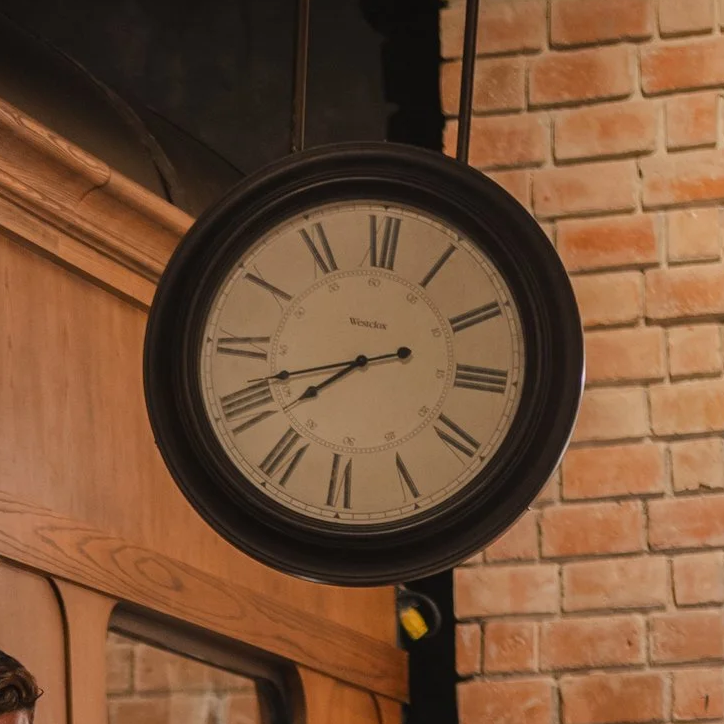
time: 7:41
